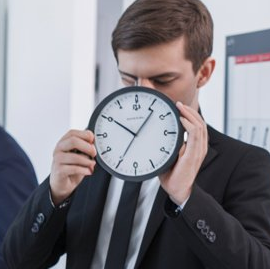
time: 10:06
